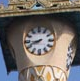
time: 8:41
